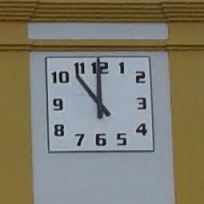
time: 11:53
